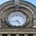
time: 4:42
